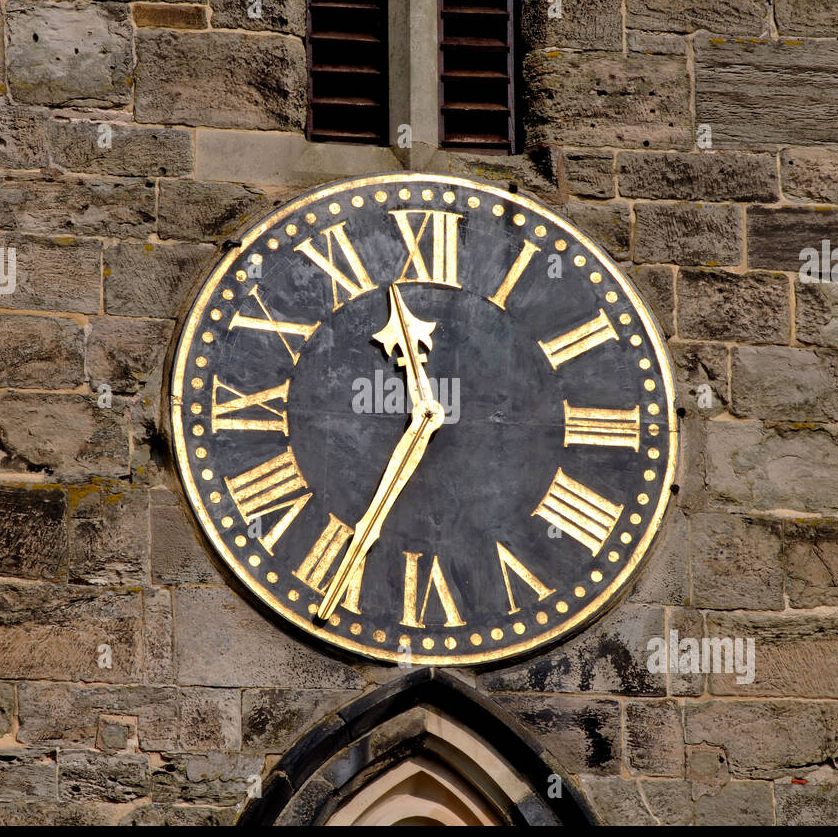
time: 11:34
